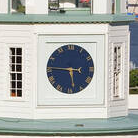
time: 5:45
